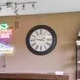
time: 1:46
